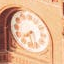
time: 7:28
